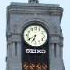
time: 6:39
